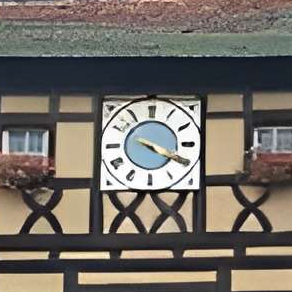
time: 4:19
